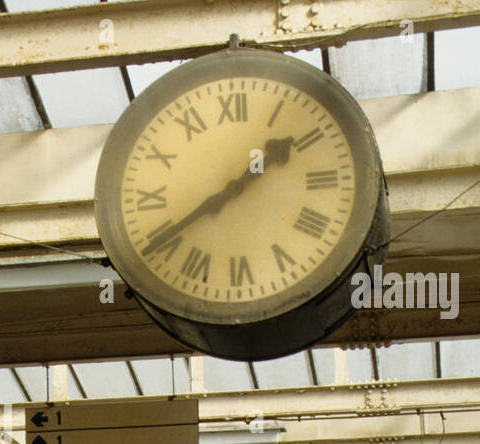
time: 1:39
